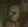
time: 9:38
